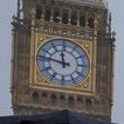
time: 11:46
